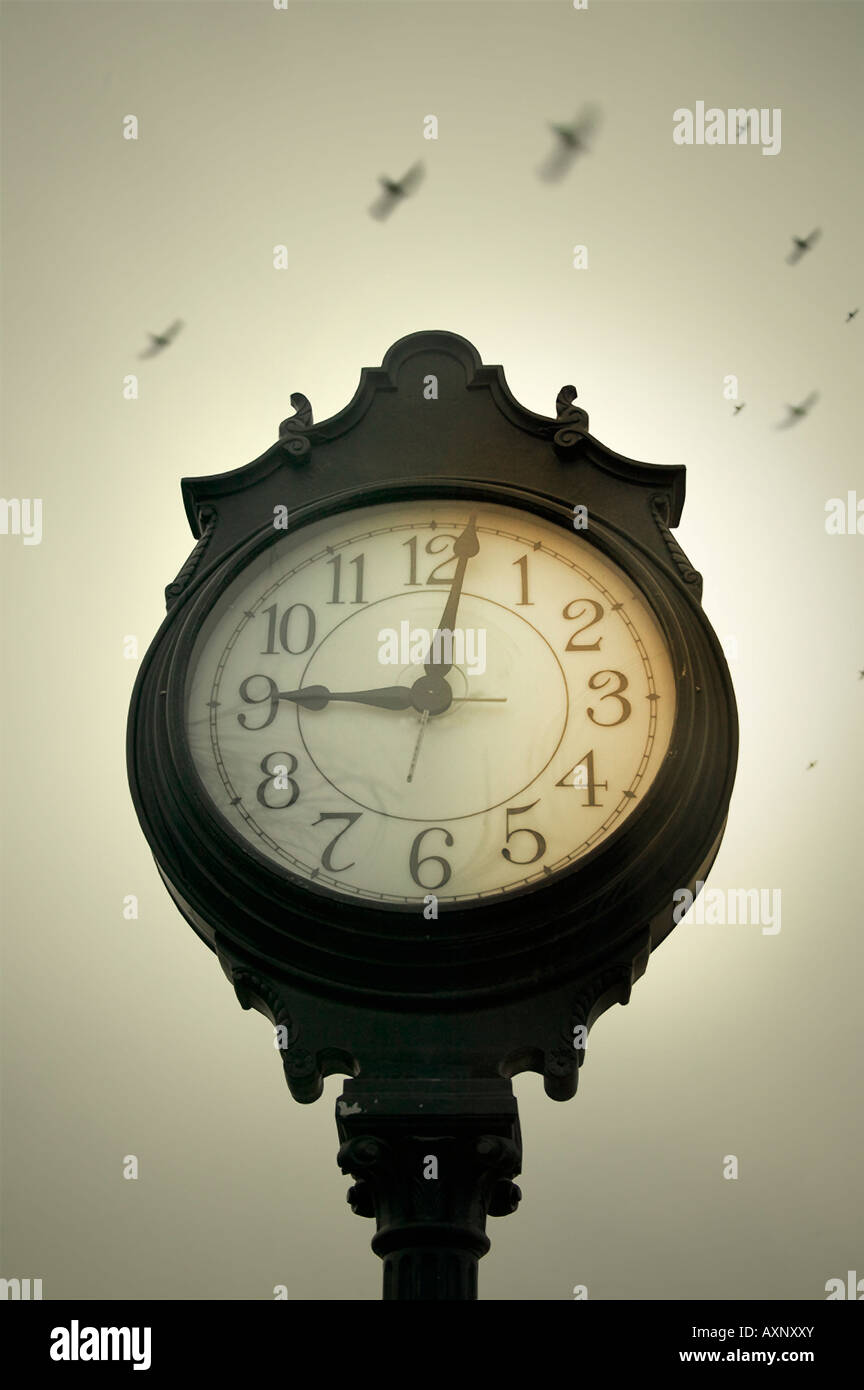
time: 9:01
